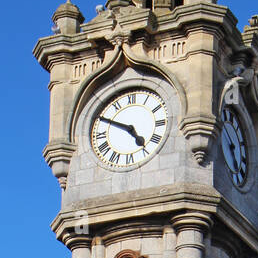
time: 4:49
